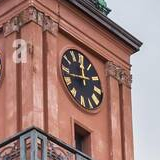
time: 11:43
